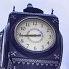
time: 8:44
